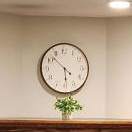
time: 5:52
